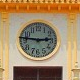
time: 2:46
